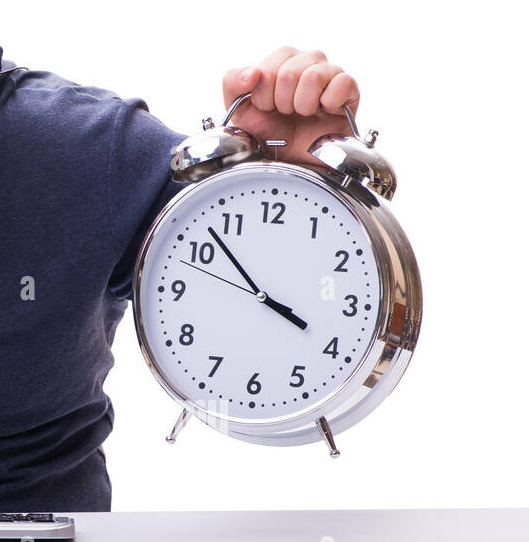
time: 3:52
